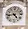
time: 4:42
